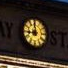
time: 8:59
